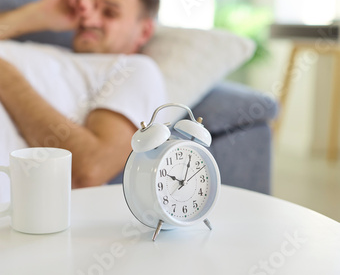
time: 10:05
